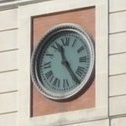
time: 11:24
